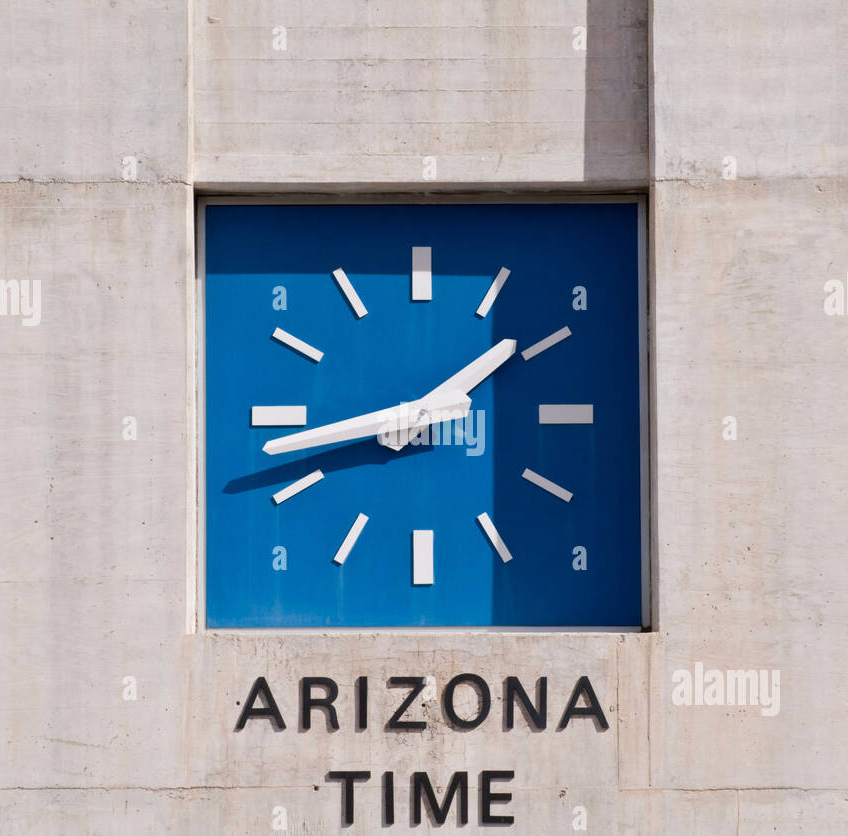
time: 1:43
